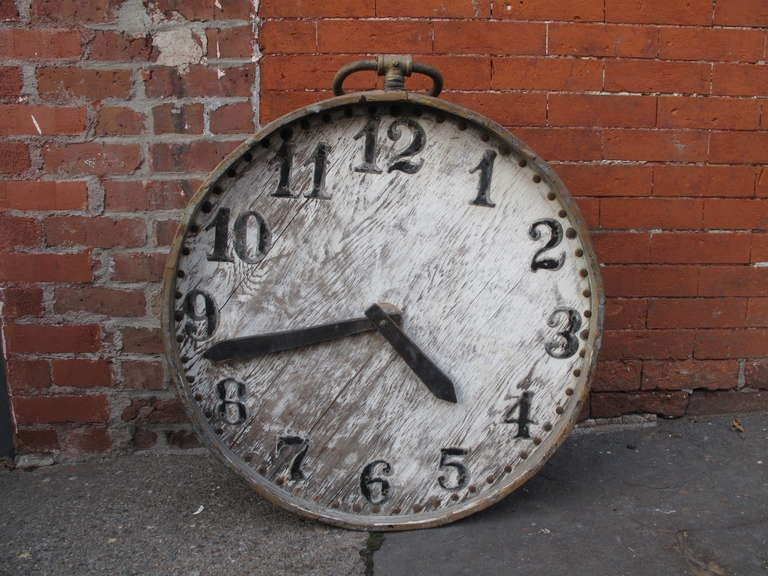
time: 4:42
